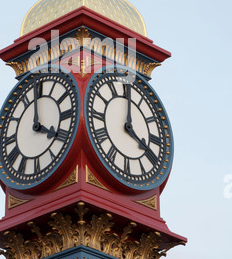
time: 4:00
